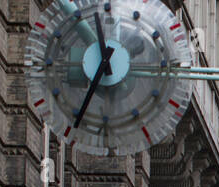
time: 11:34
